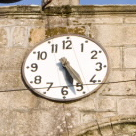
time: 5:24
